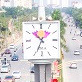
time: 10:34
